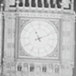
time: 11:11
